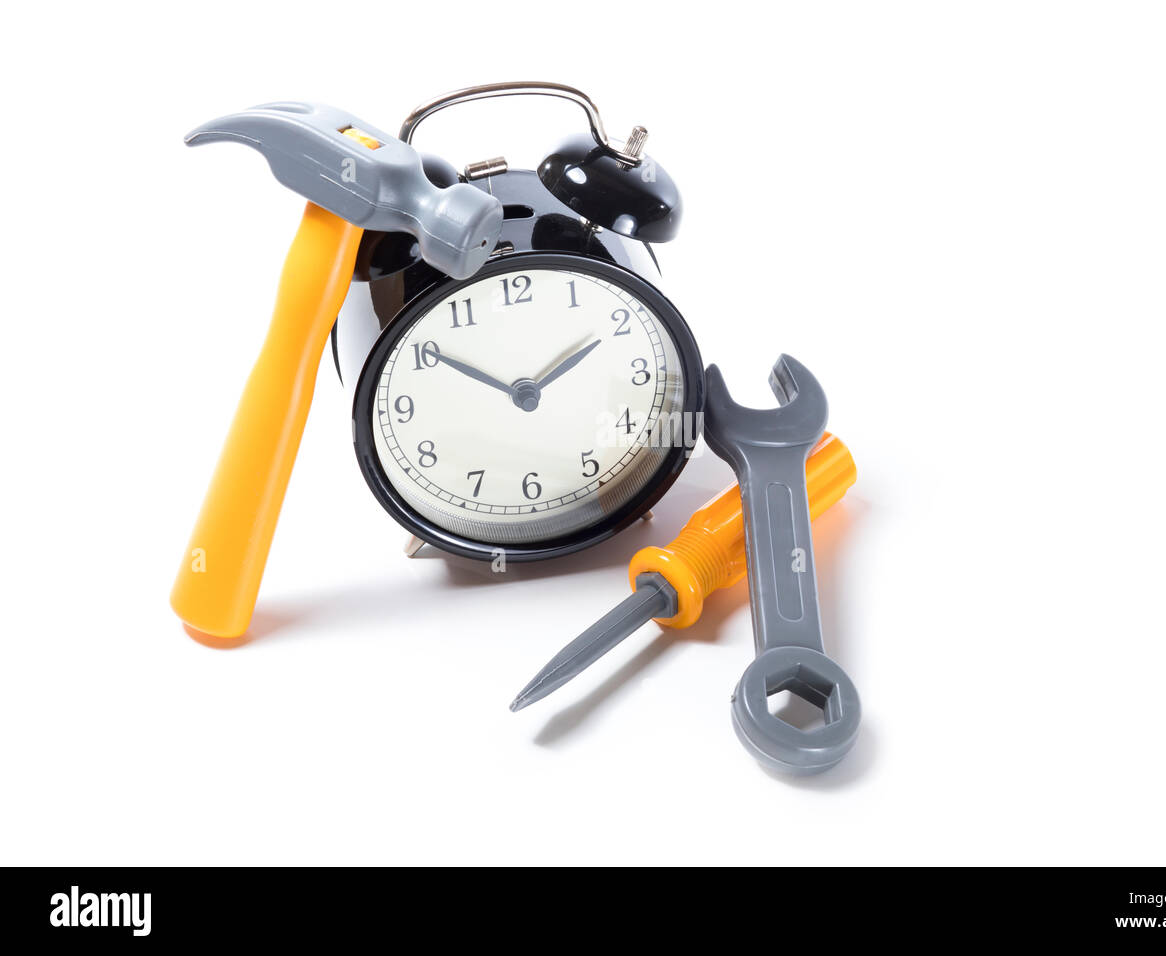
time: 1:51
